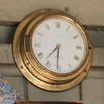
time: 7:30
